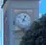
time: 12:52
